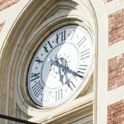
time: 5:21
